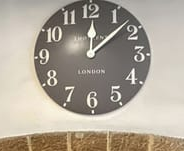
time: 12:07
